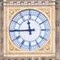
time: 11:44
